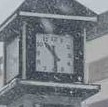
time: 10:28
